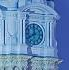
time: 11:40
